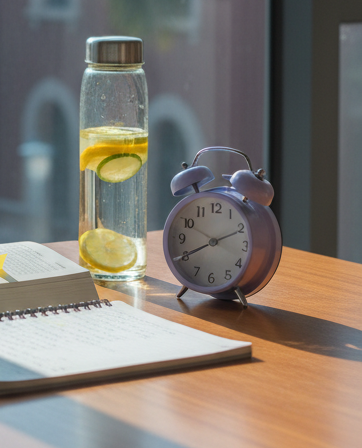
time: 8:10
